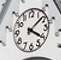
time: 4:08
